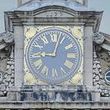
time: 9:03
